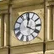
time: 4:01
